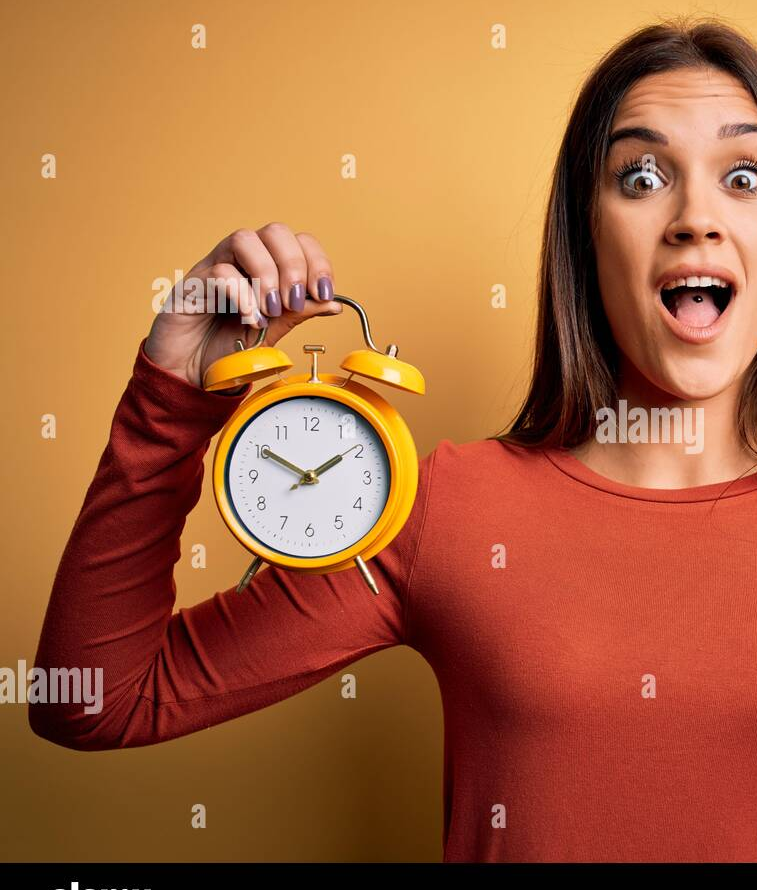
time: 1:50
